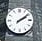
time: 2:09
